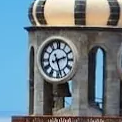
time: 2:27
